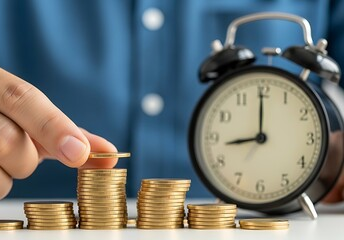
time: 9:00
